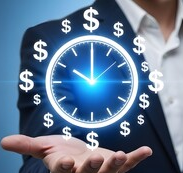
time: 10:00
